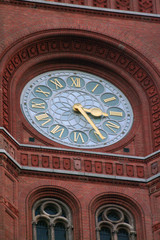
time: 3:24
